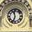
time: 11:33
